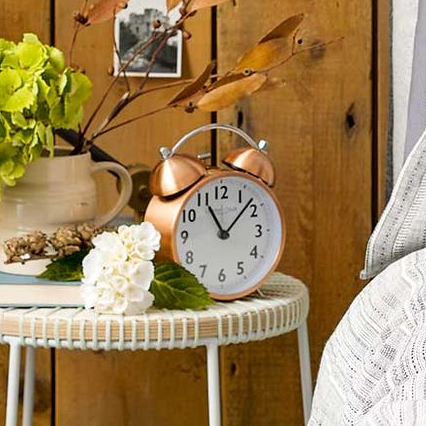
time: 11:07
